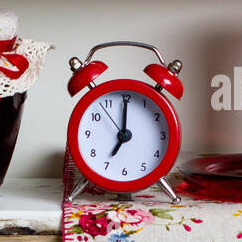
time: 7:00
